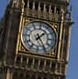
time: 1:24
